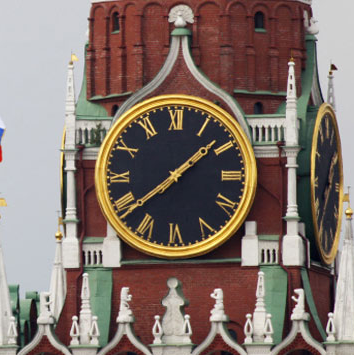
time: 1:38
